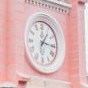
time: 1:16
